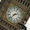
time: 2:38
